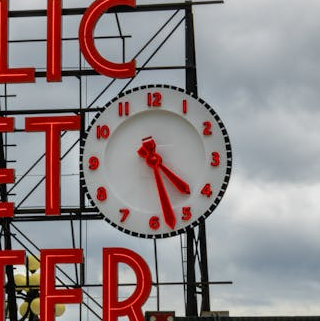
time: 4:27
